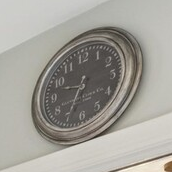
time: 9:34
